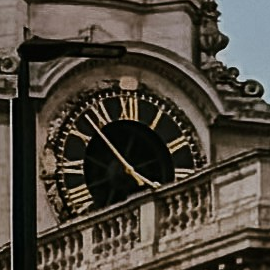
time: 3:52
